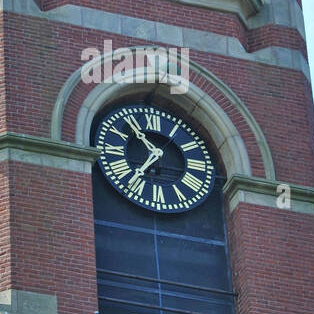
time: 10:36
